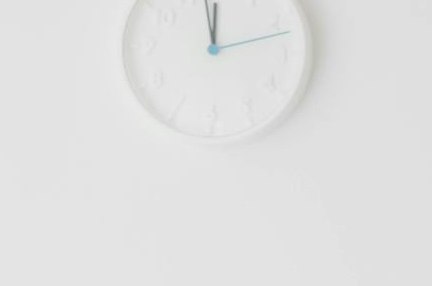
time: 11:58
